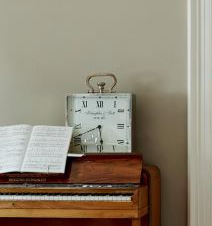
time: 5:41
